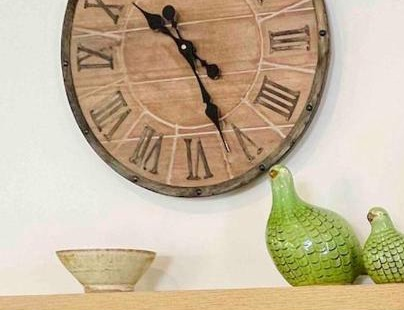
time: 10:26
